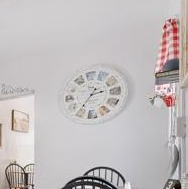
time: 2:35
